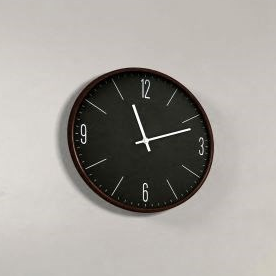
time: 11:11
